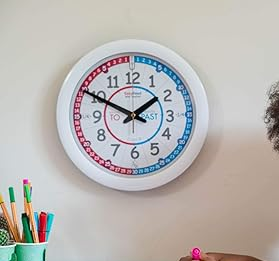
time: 1:49
